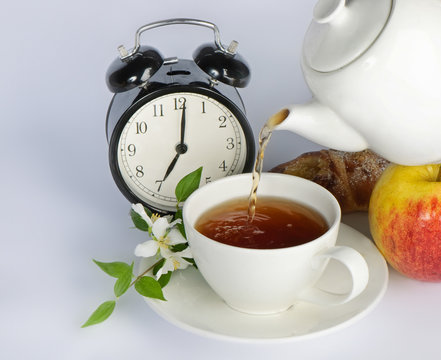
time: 7:01
